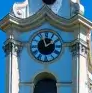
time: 1:56
